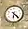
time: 6:22
